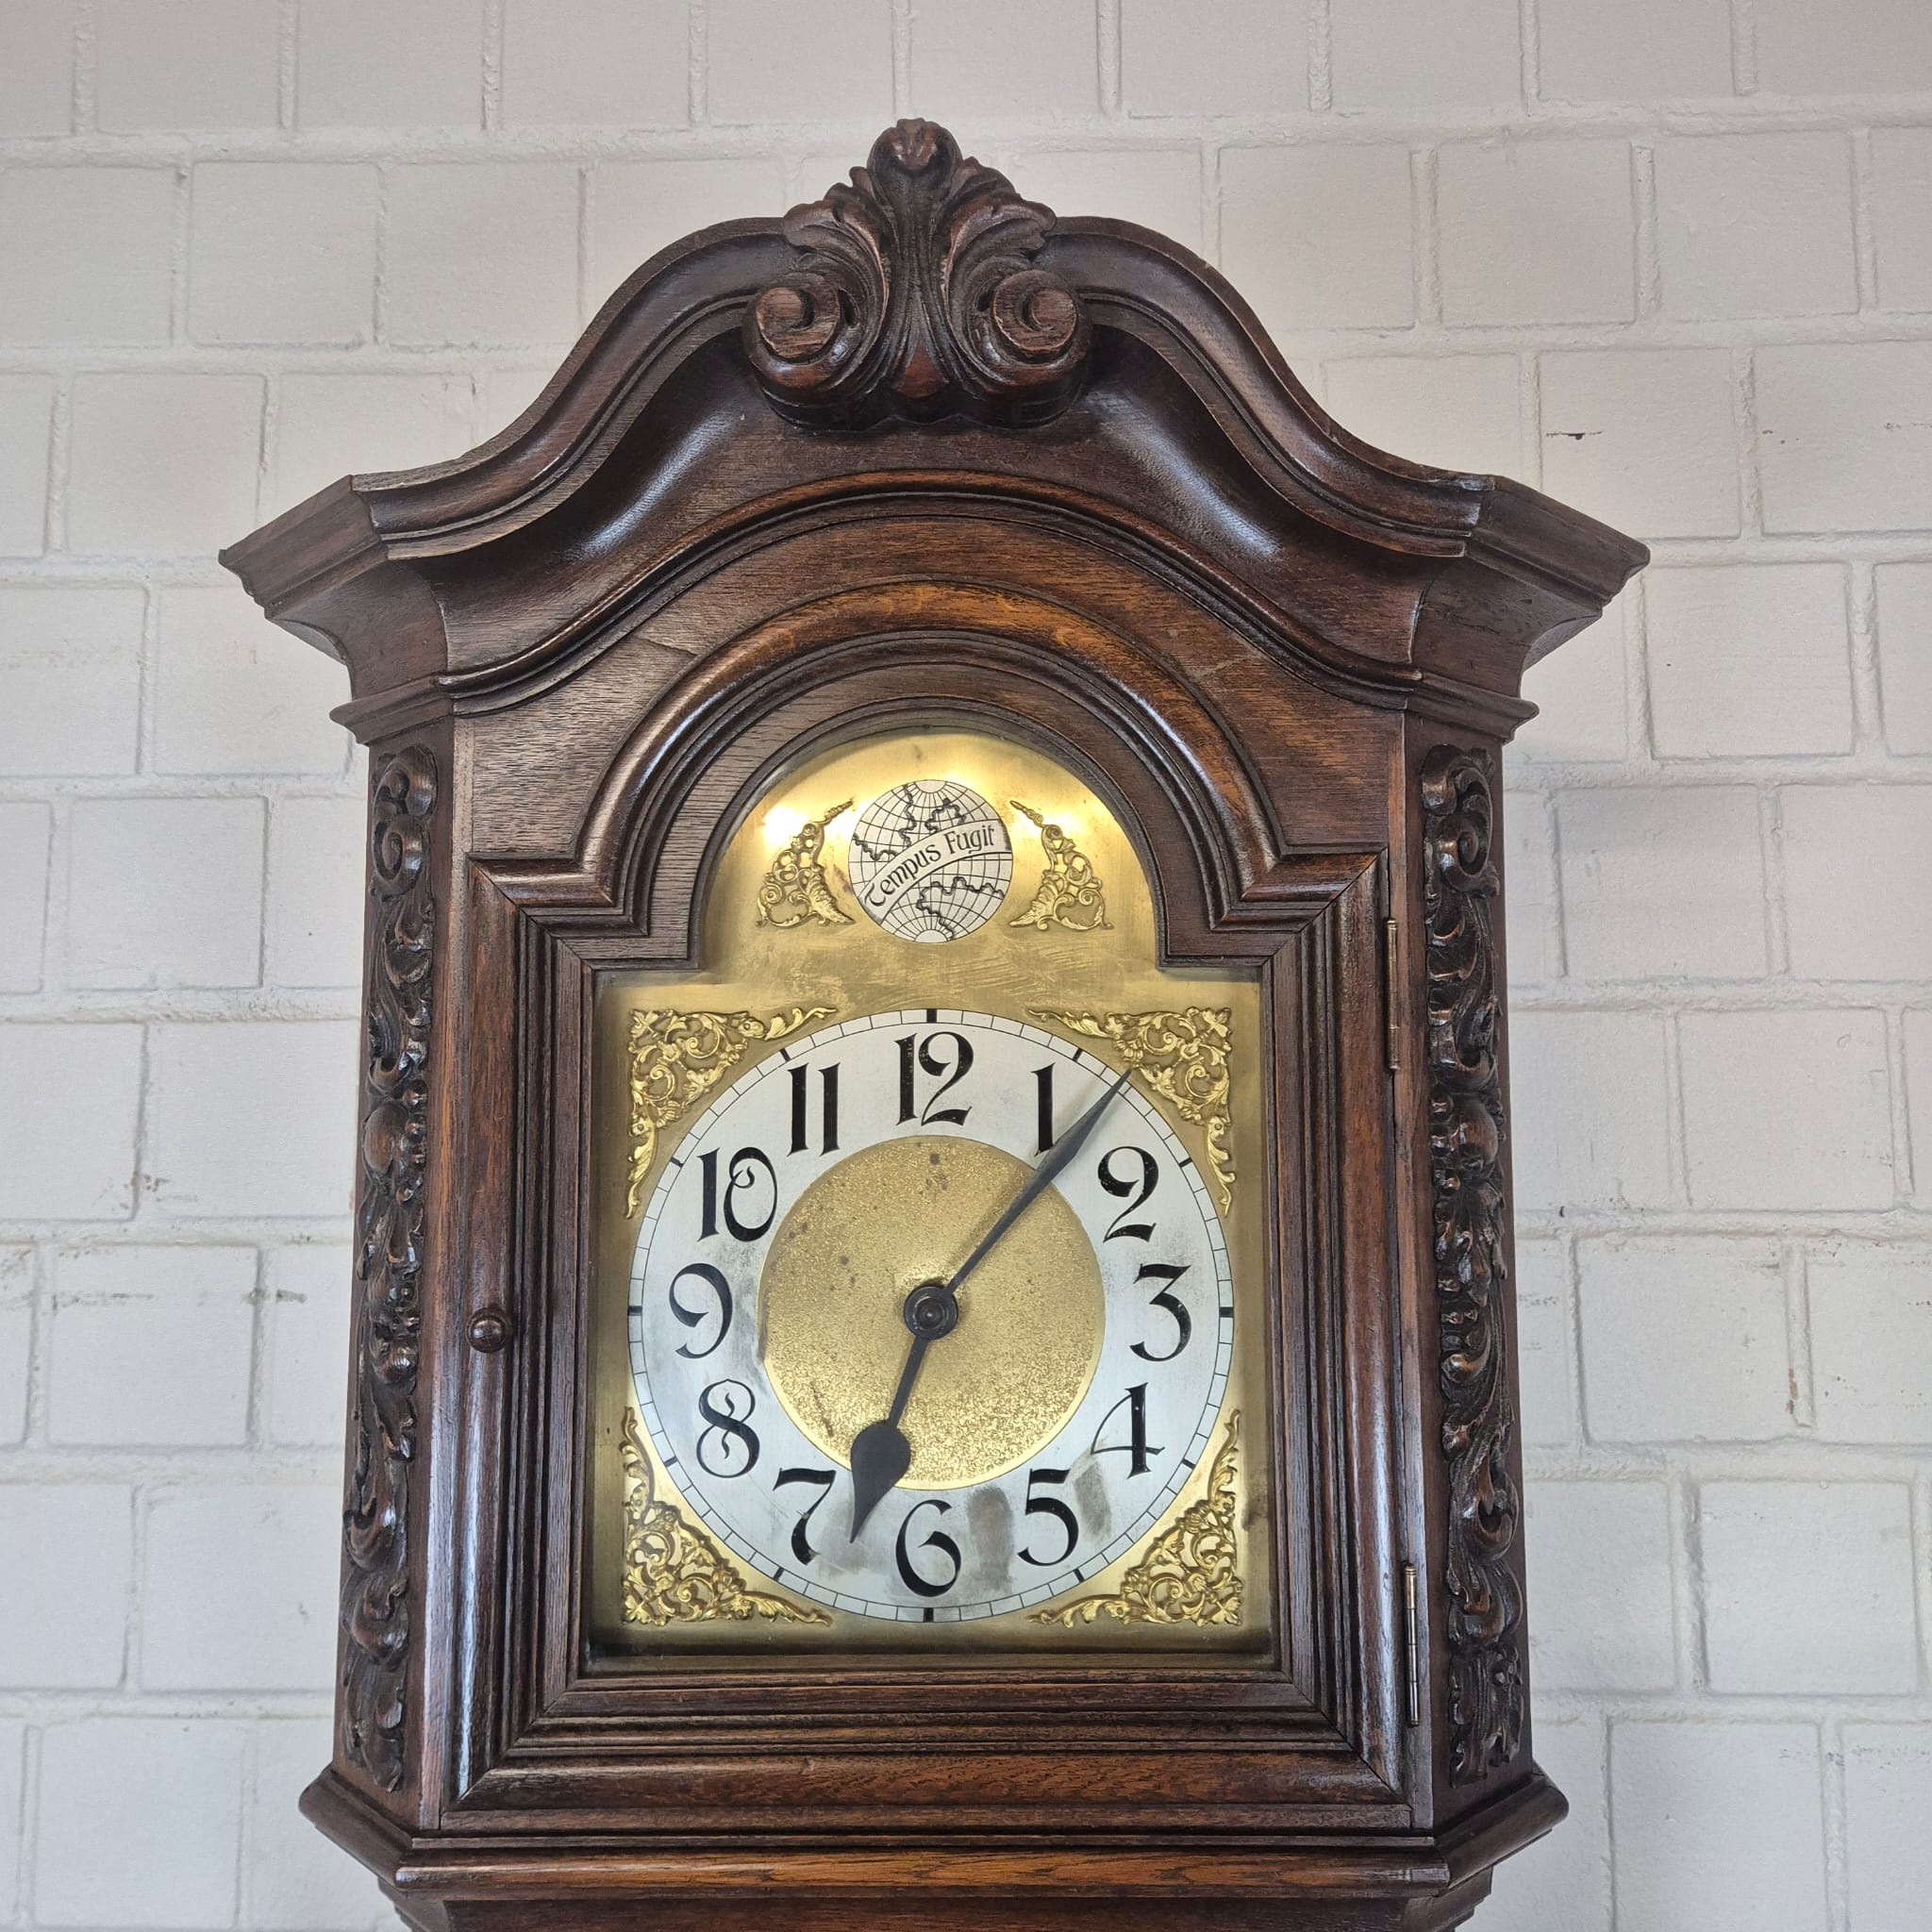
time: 7:07
